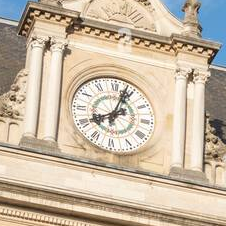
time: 8:03
